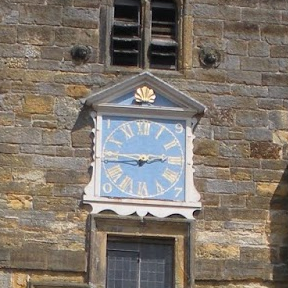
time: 2:44
